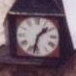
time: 1:32
